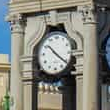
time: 10:20
